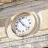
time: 11:22
